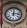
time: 12:13
